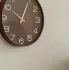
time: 10:04
